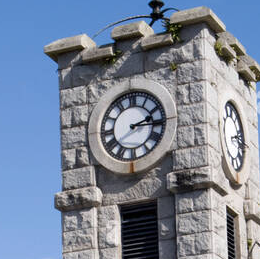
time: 2:15
